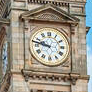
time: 9:47
